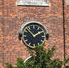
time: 1:52
